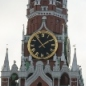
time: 1:53
